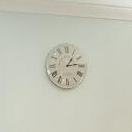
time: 1:13
